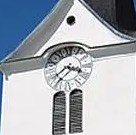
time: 3:37
